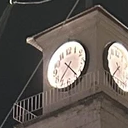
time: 7:23
